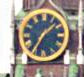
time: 1:35
